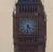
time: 4:31
